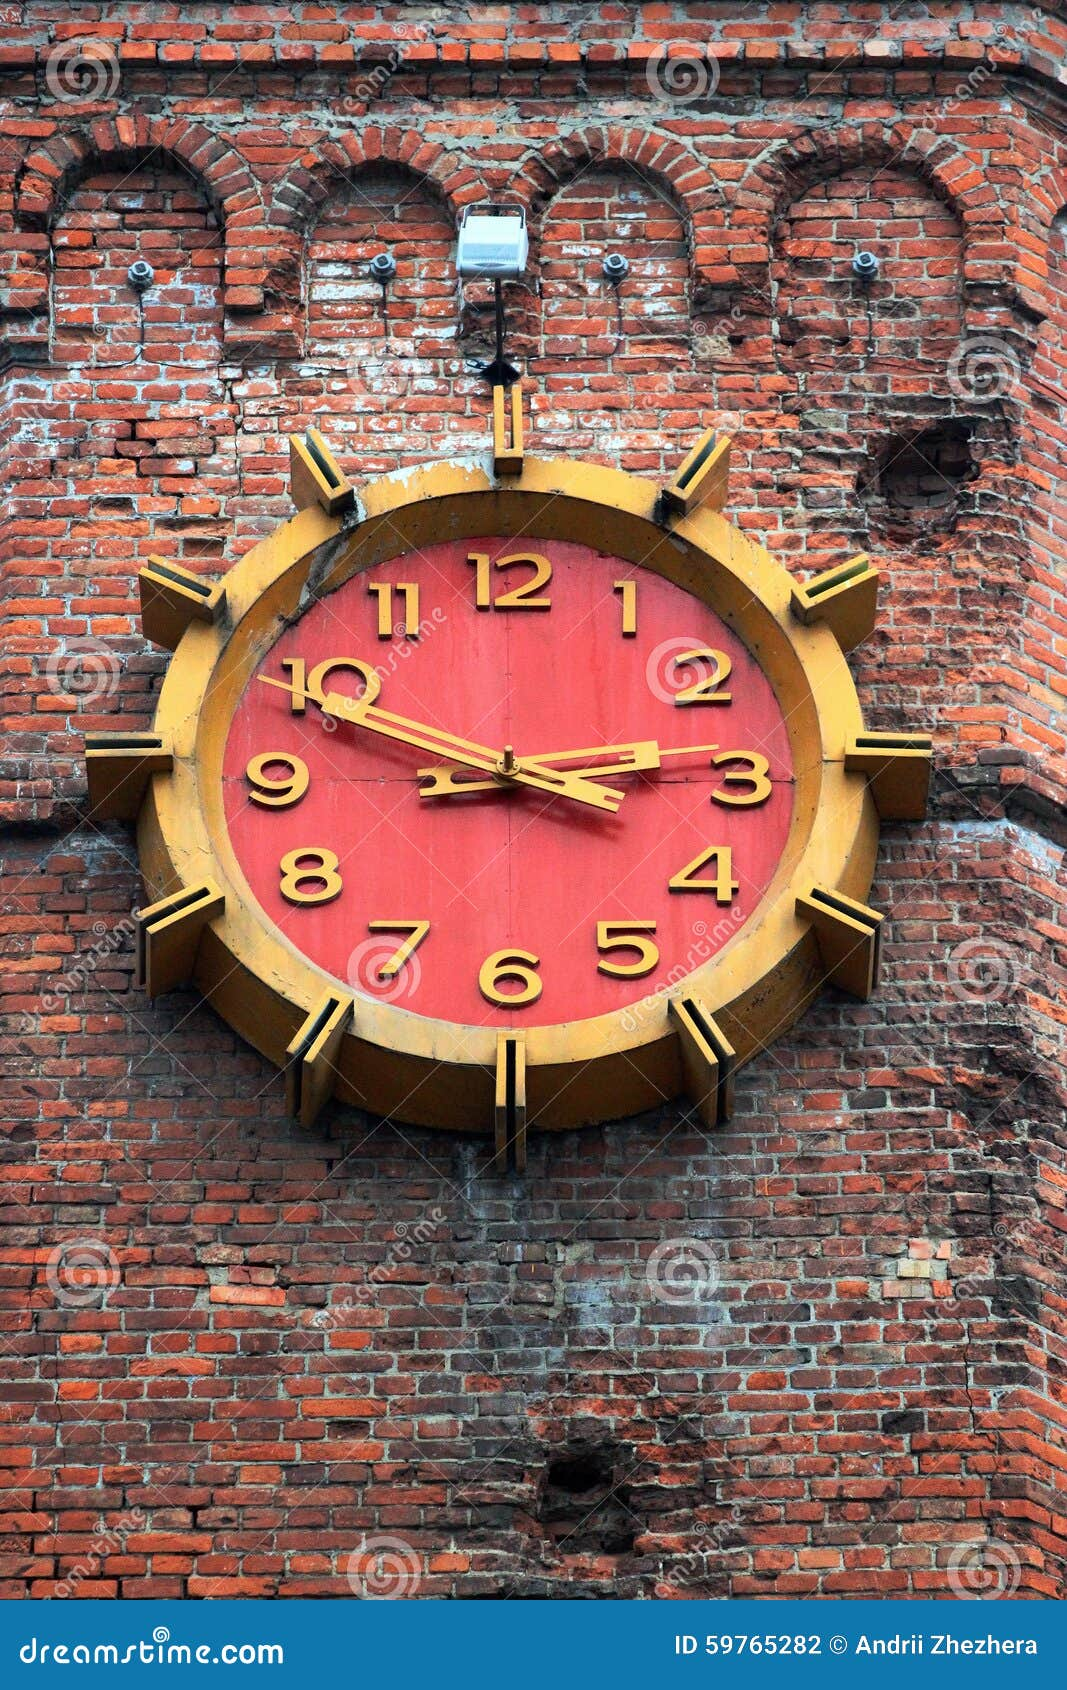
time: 2:48
